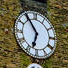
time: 6:54
